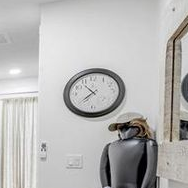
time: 10:37
